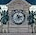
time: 11:12
